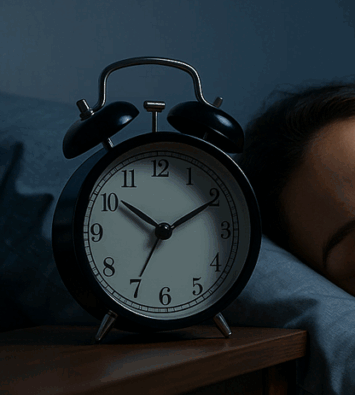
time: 10:10
